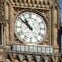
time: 10:51
